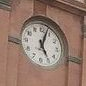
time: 5:03
